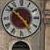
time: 4:51
